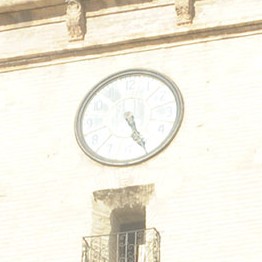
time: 5:26
